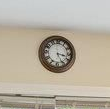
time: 3:26
